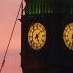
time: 5:07
